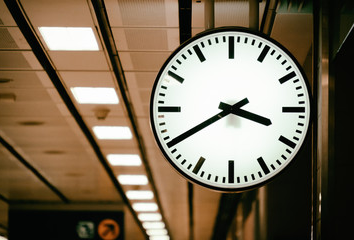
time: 3:40
